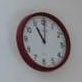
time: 11:00
